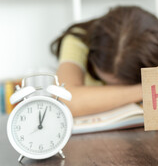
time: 12:03
